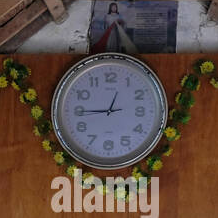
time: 12:44
